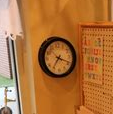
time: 7:18
